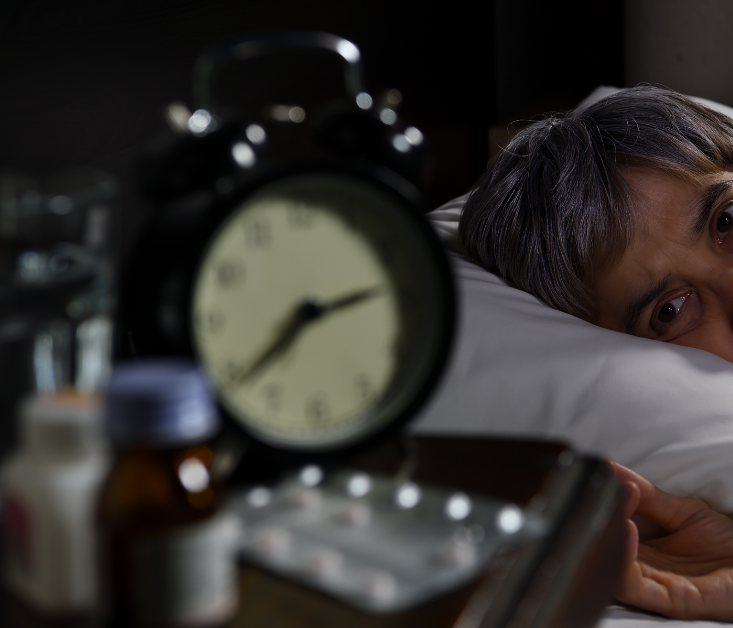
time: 2:38
